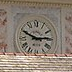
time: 2:49
